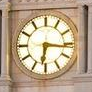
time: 6:16
